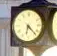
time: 6:22
